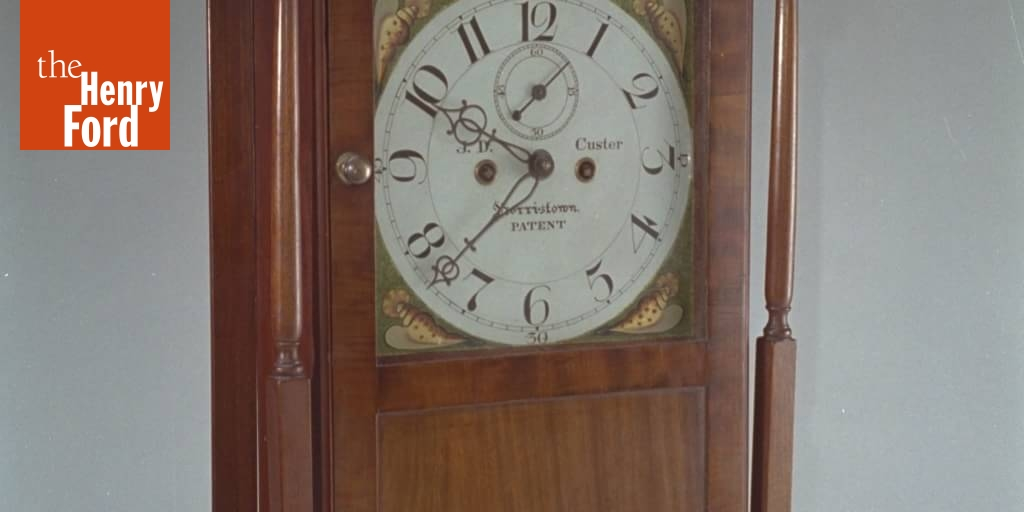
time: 8:37
